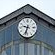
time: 9:33
